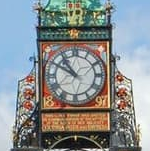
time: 10:50
